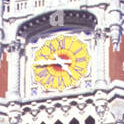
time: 4:44
